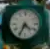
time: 4:34
